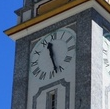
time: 11:27
